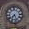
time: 7:27
